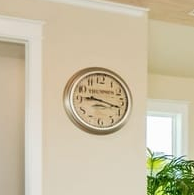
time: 9:17
